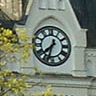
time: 7:32
